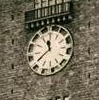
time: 11:40
